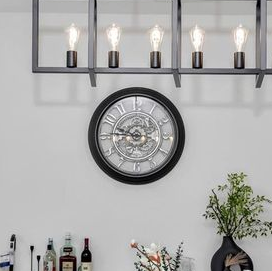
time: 9:45
